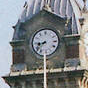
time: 8:38
